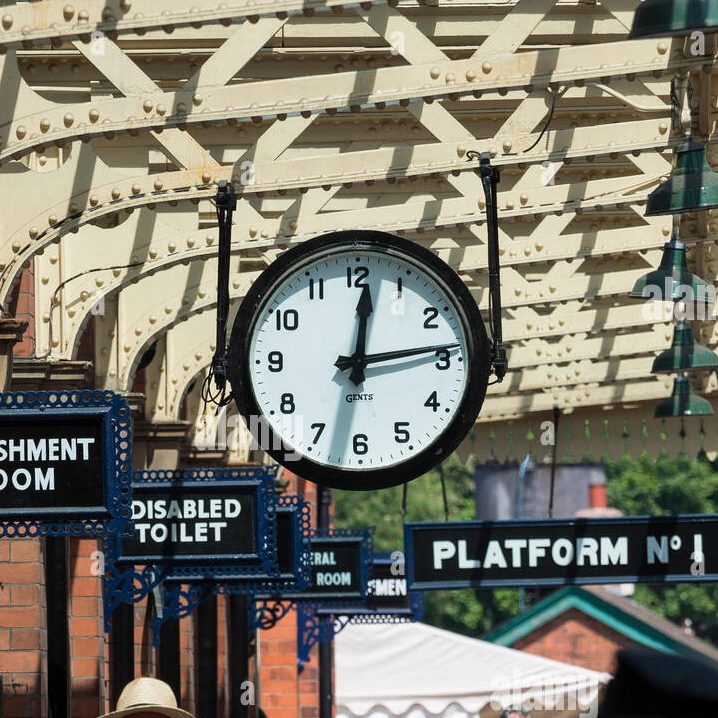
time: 12:13
